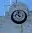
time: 3:58
